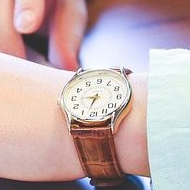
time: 8:33
